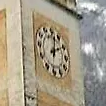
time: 2:02
